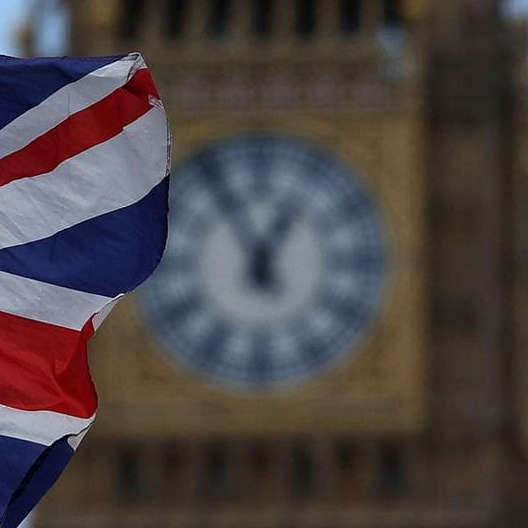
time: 12:55
